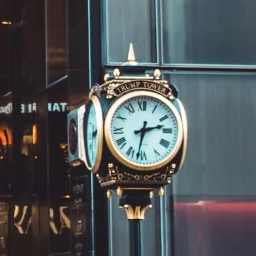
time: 2:32
